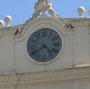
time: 4:39
